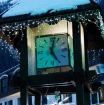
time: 5:02
